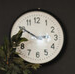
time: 2:49
